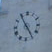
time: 4:54
